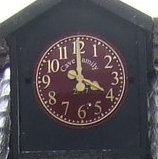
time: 3:59
